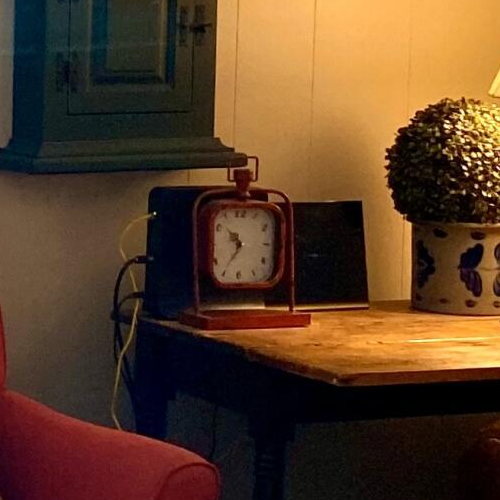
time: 10:36
